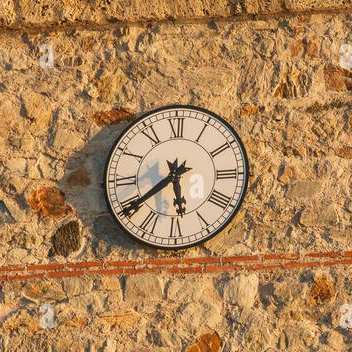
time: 5:39
